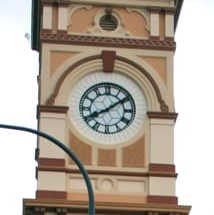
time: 8:09
